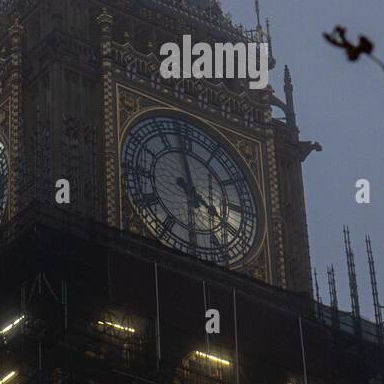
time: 3:58
